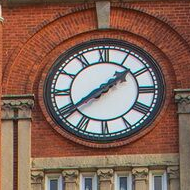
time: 1:39
